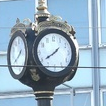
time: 1:39
